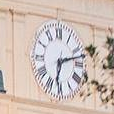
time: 6:12
